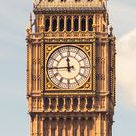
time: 11:44
